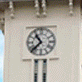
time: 10:37
